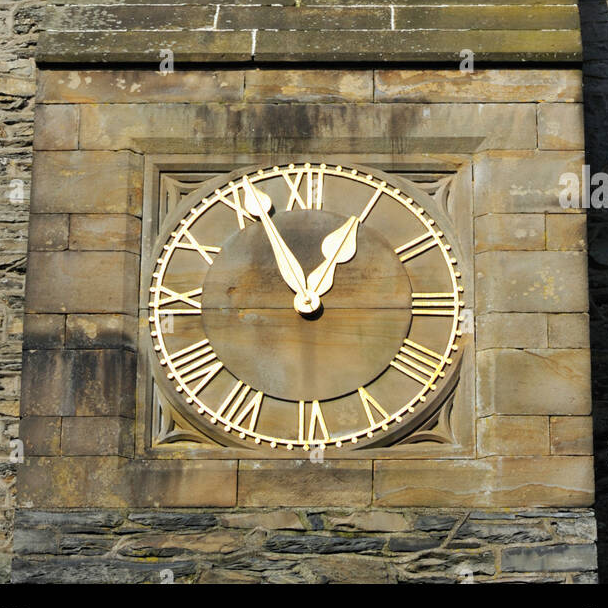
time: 12:56
